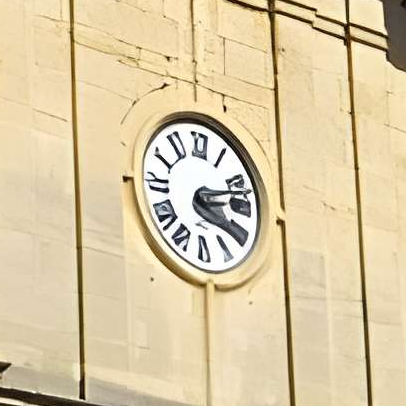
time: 4:12
